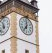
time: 7:00
